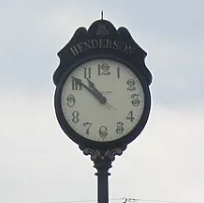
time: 10:51
